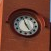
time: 4:56
